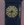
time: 8:32
